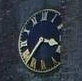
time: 3:36
